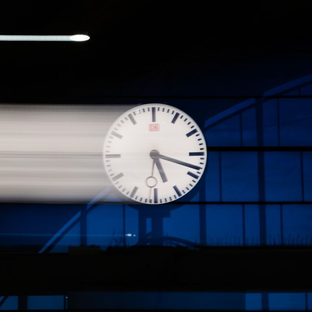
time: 5:18
